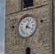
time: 4:04
